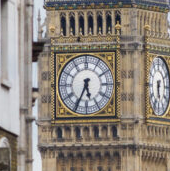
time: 5:34
